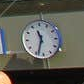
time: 11:33
